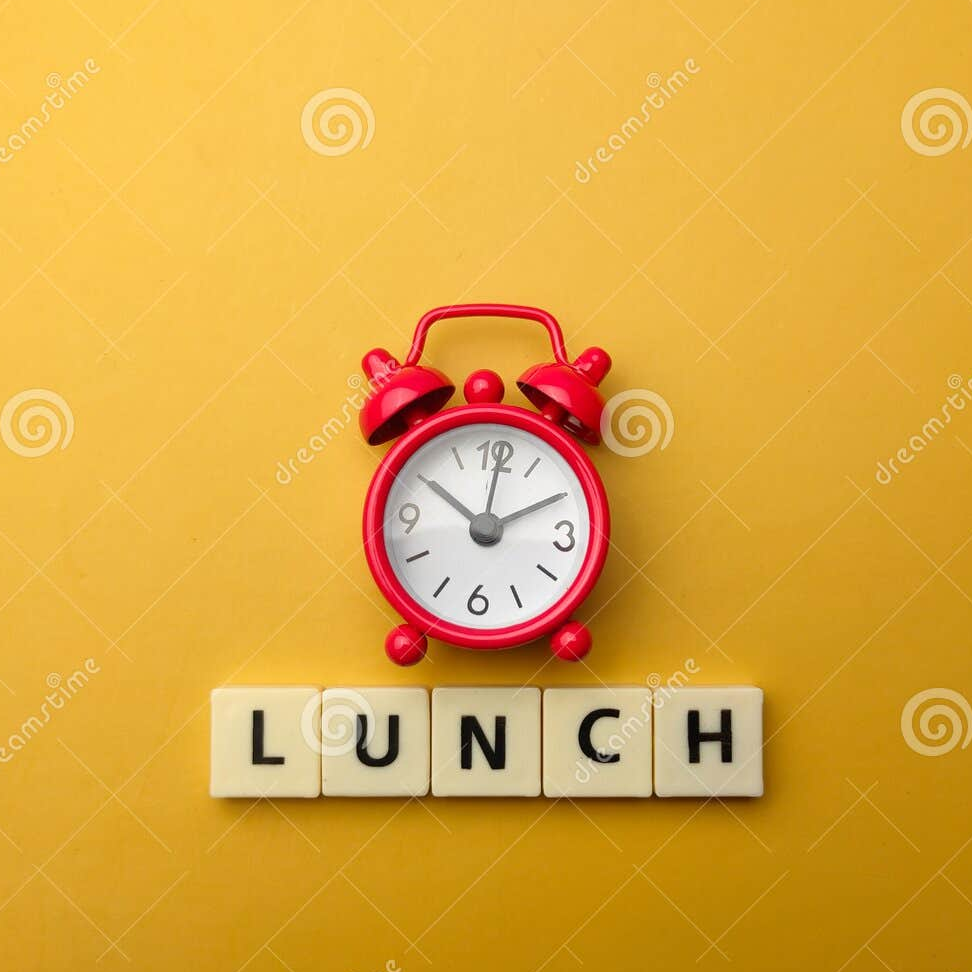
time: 10:10
